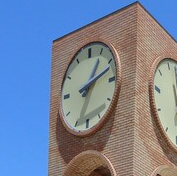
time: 1:11
